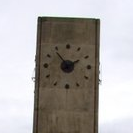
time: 1:53
